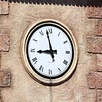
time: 8:57
